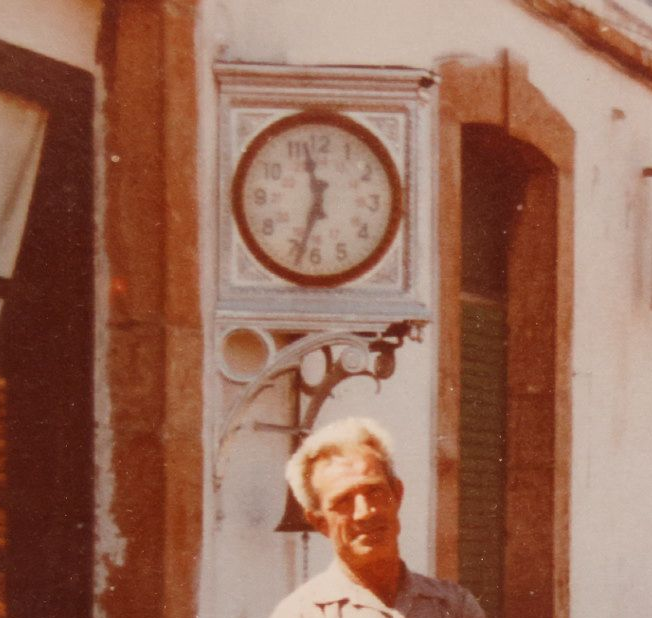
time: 11:33
